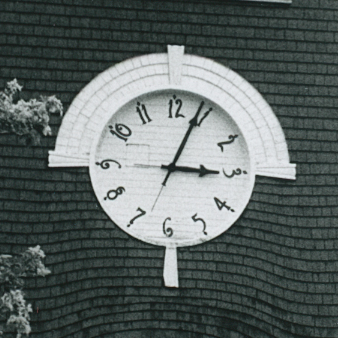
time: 3:03
